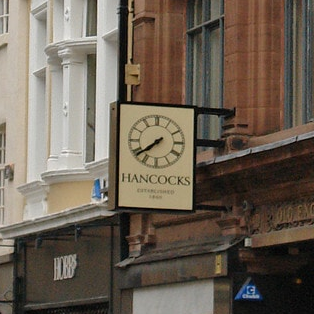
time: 7:39
